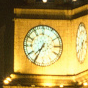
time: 7:34
